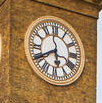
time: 5:40
